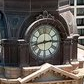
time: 2:42
